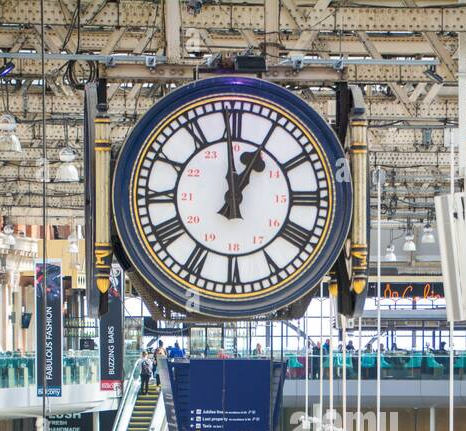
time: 12:59
